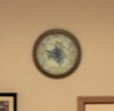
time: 8:27
